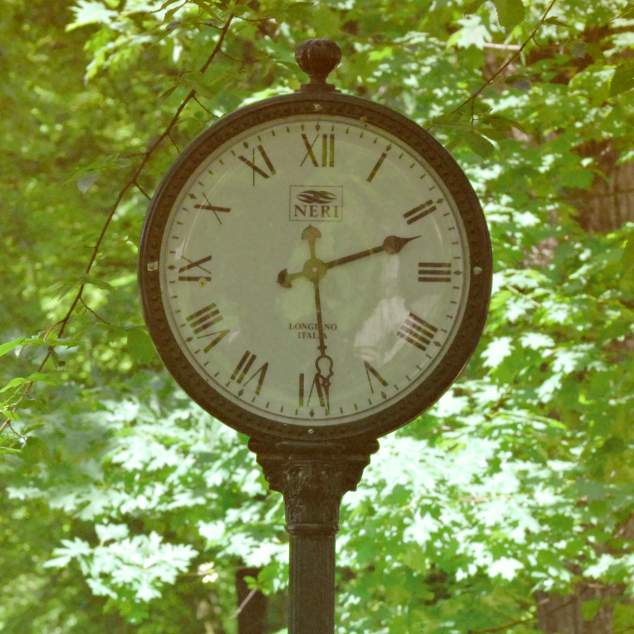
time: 2:29
